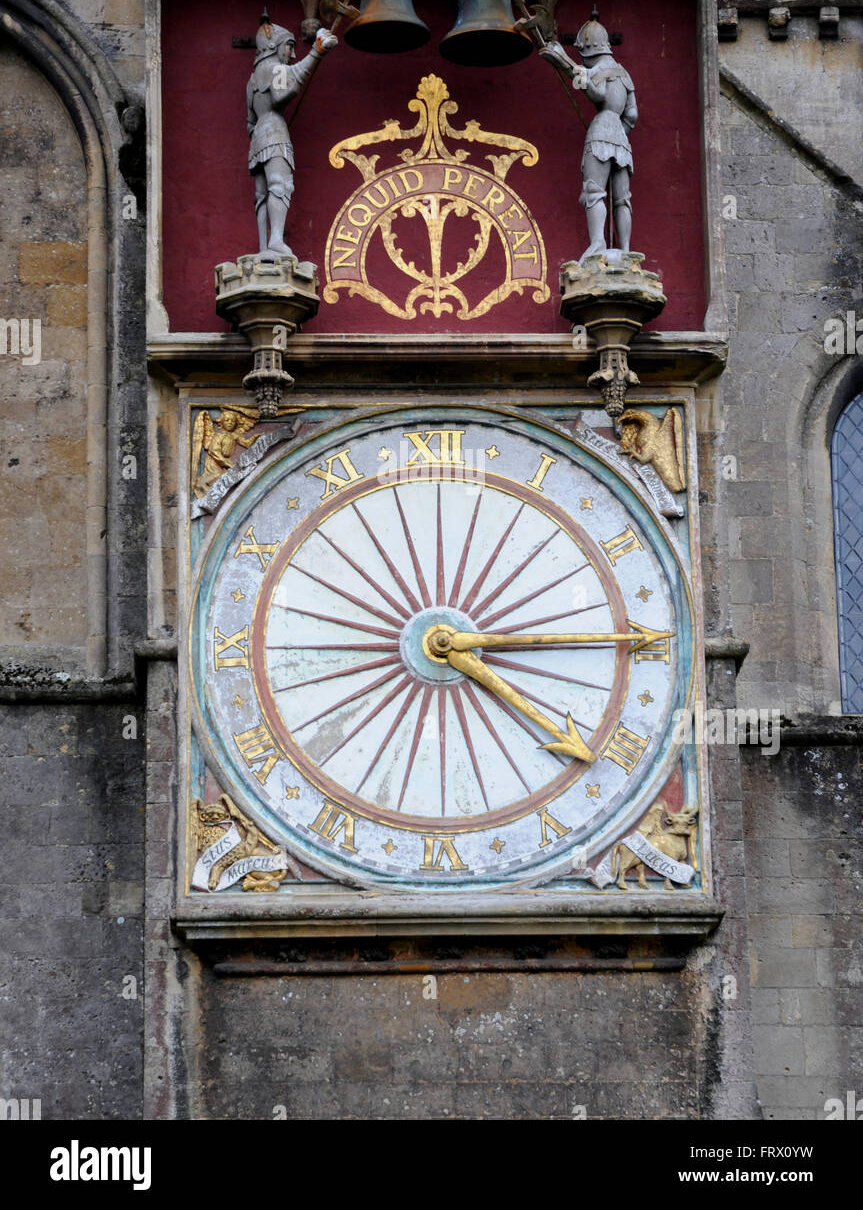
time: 4:14
